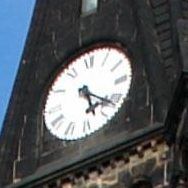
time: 5:21
